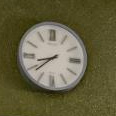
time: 8:38
